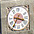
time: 3:35
